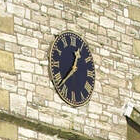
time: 12:37
